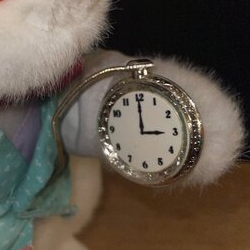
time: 2:59
